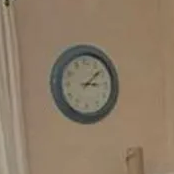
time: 3:08
